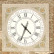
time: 4:33
